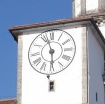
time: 5:57
